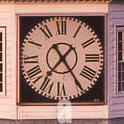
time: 7:24
